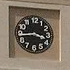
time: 3:43
